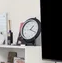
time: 1:18
